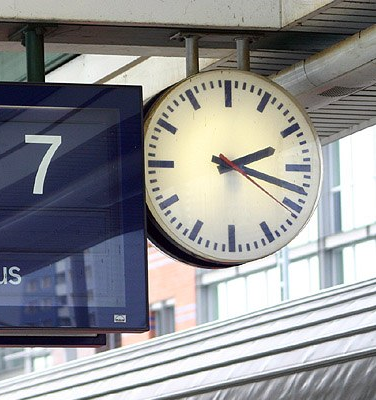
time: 2:18
